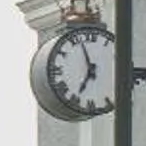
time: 6:56
